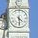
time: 4:29
